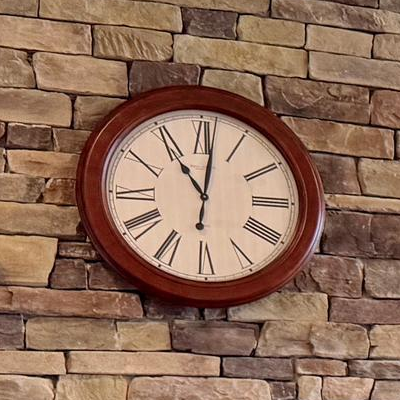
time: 11:01
